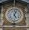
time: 5:03
